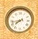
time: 7:43
